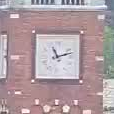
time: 11:12
